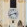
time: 2:42
